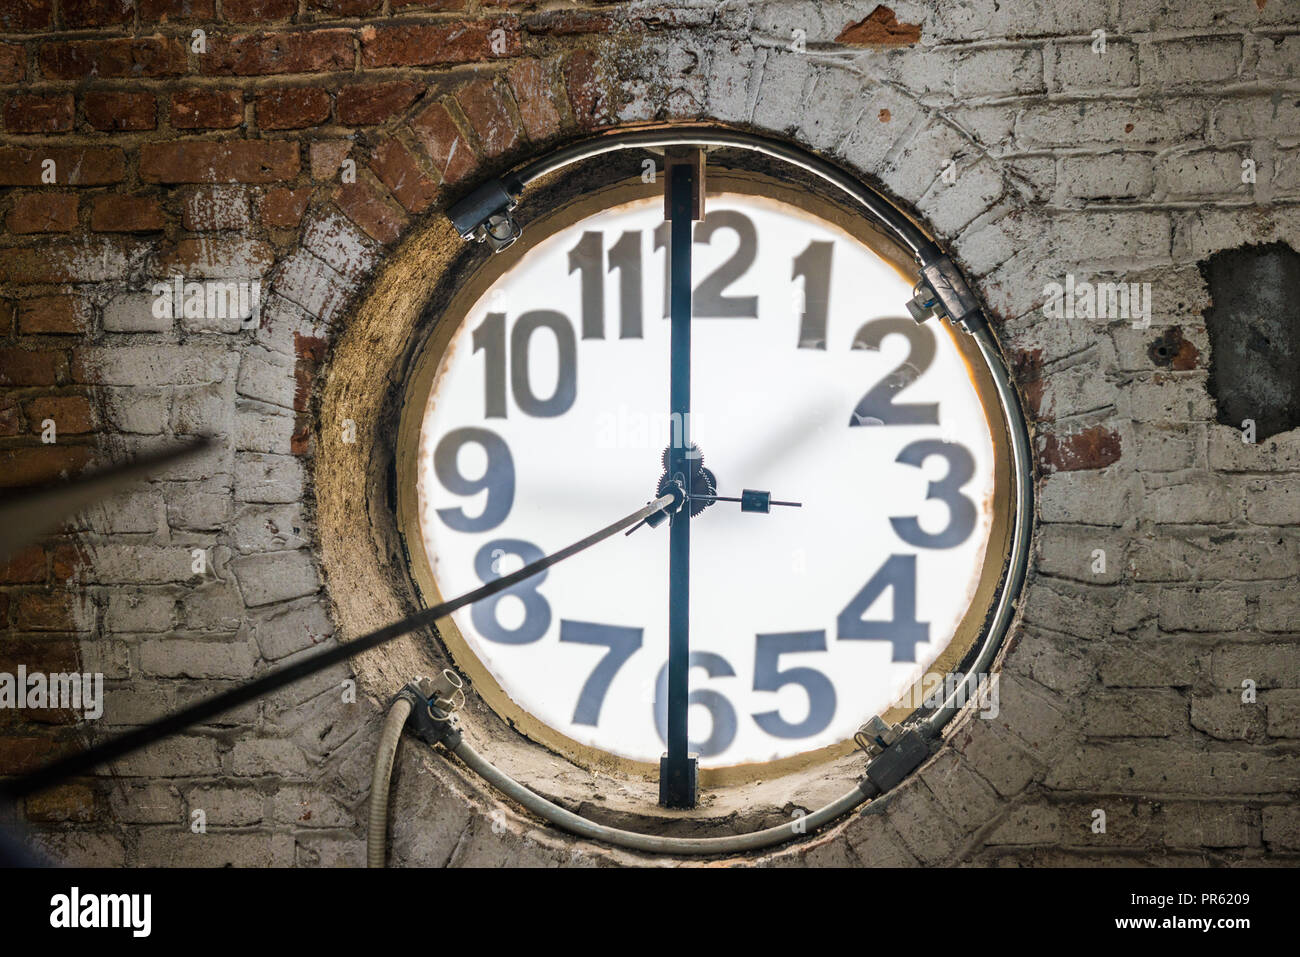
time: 5:59
